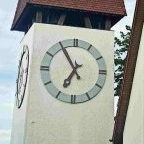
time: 6:54
